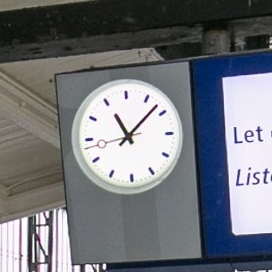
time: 11:07
